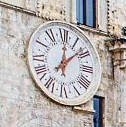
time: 12:07
